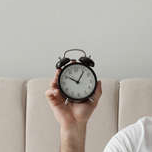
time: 10:05
